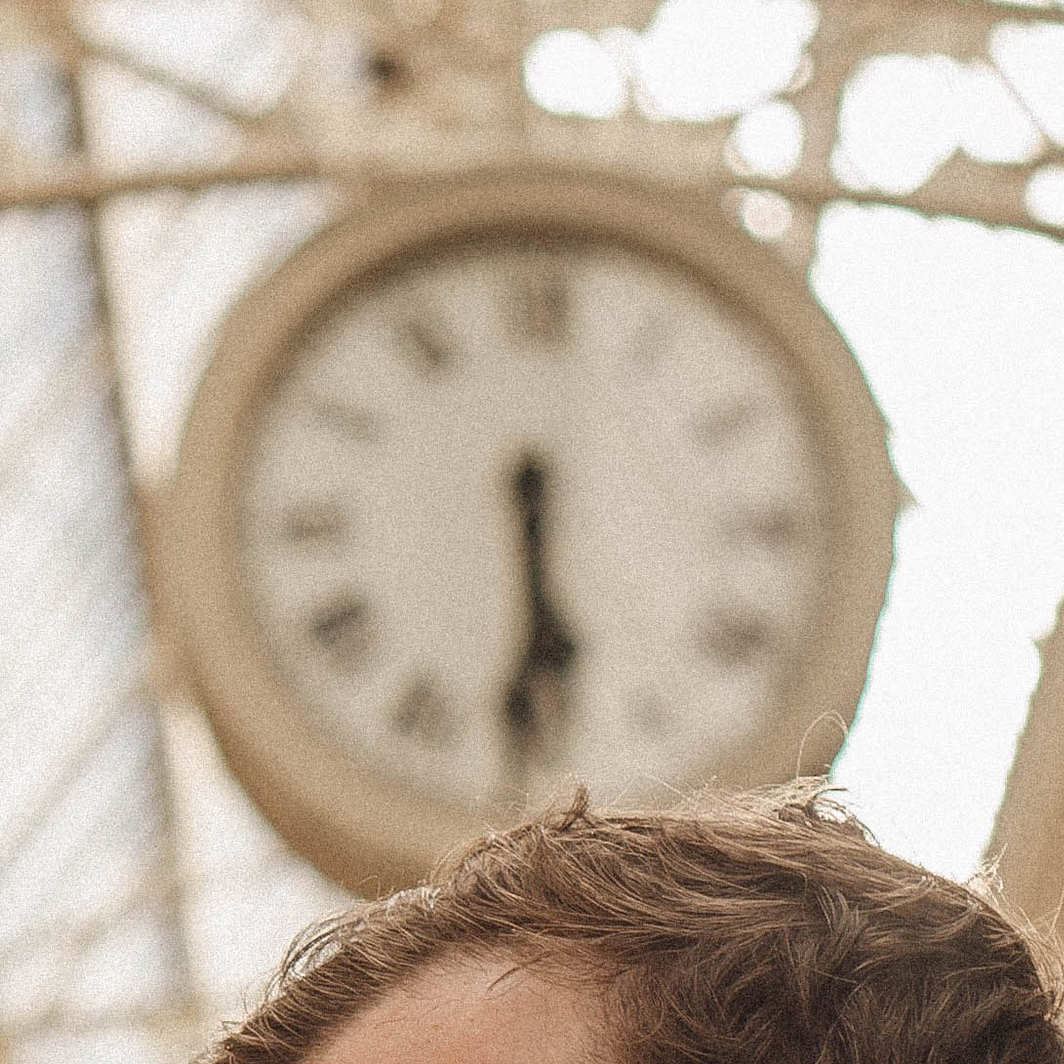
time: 5:29
